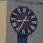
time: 8:35
